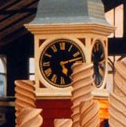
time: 5:11
